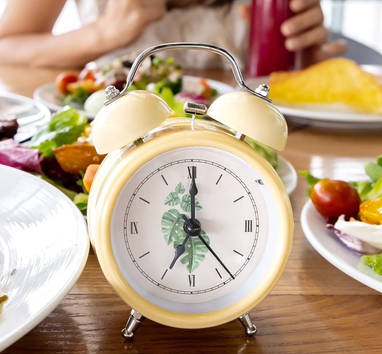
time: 7:00
